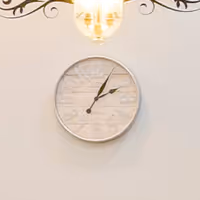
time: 2:04
